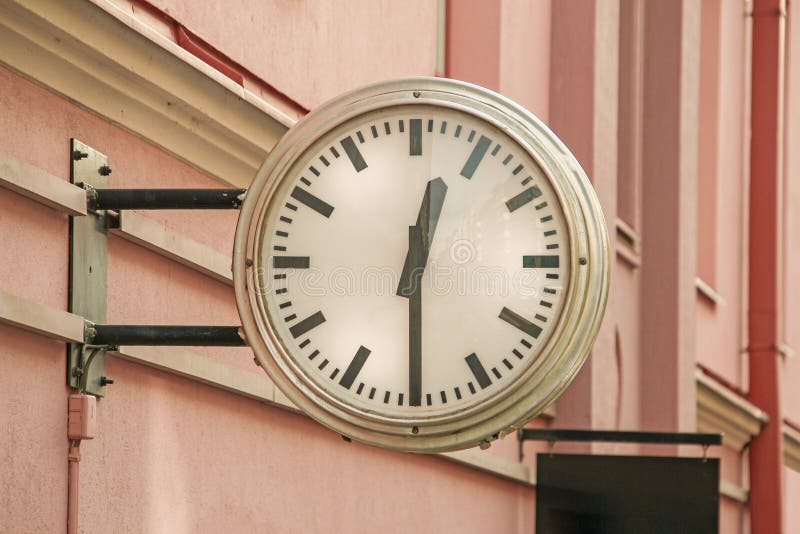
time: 12:29
